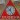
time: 12:24
